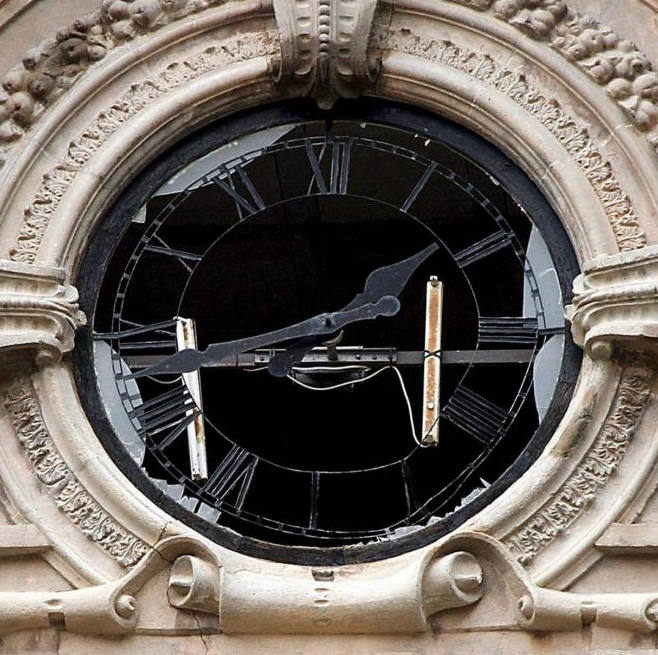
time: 1:43
